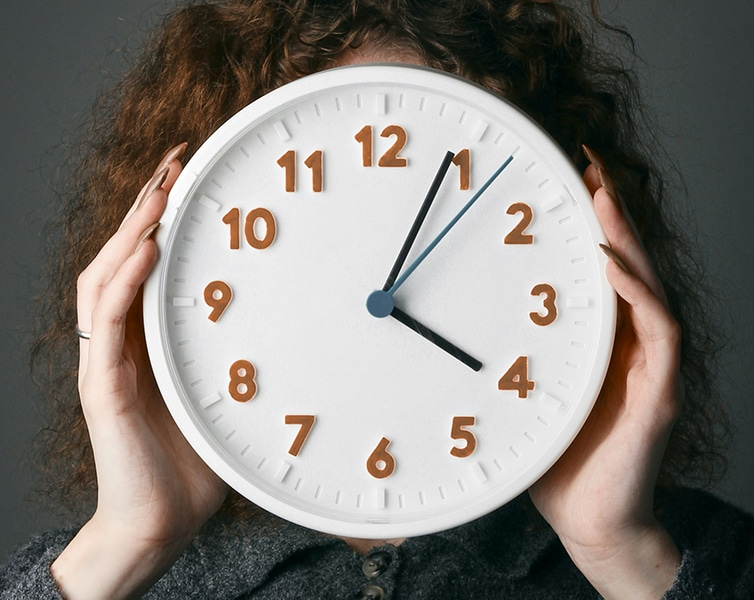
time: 4:04
